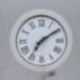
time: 7:09
